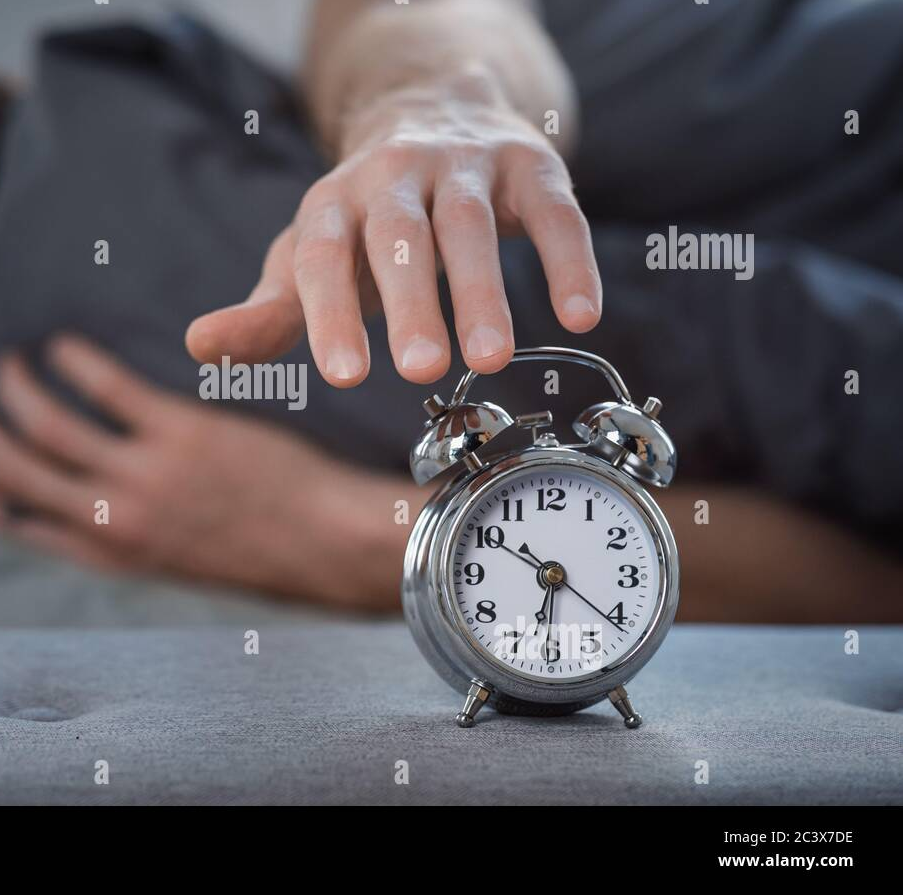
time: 6:21
